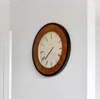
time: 7:38
